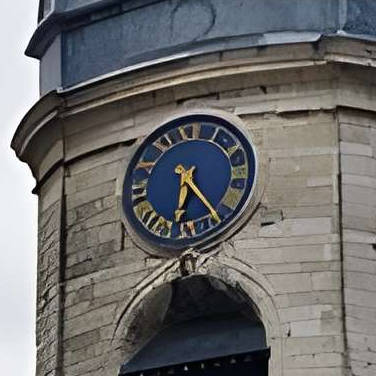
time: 6:23
